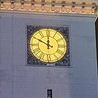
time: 11:49
